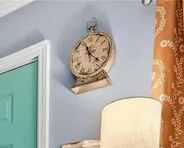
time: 11:21
